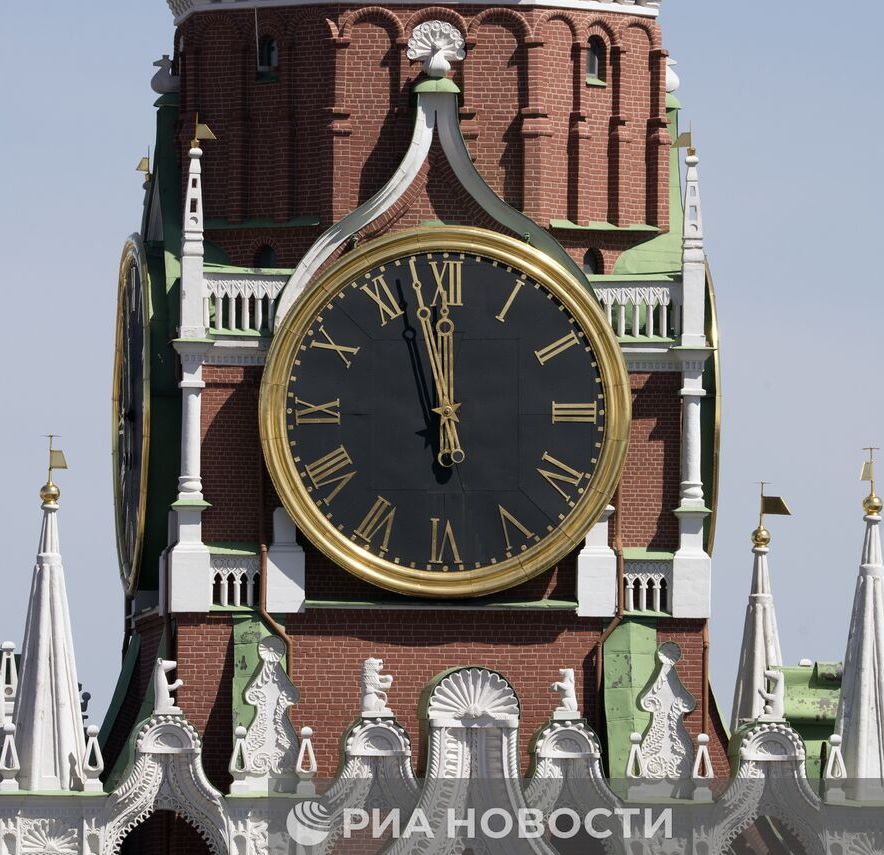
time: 11:57
